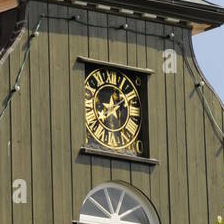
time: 1:39
